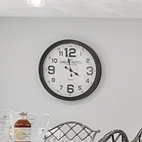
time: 3:58
